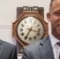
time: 3:34
